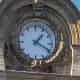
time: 1:20
